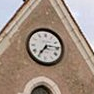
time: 7:14
